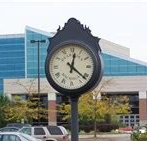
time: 12:21
